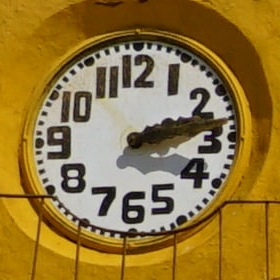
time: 2:12
